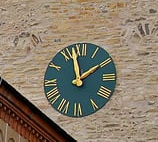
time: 1:57
